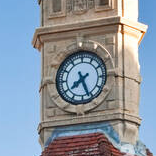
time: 7:26
